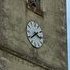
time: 3:38
